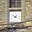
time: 12:52
